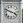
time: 3:48
